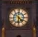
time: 4:31
